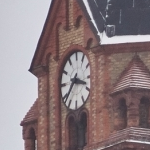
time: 3:37
